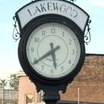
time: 5:39
